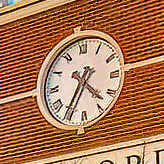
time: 4:35
